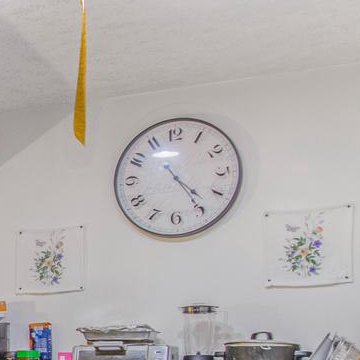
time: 4:23
